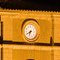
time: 6:40
